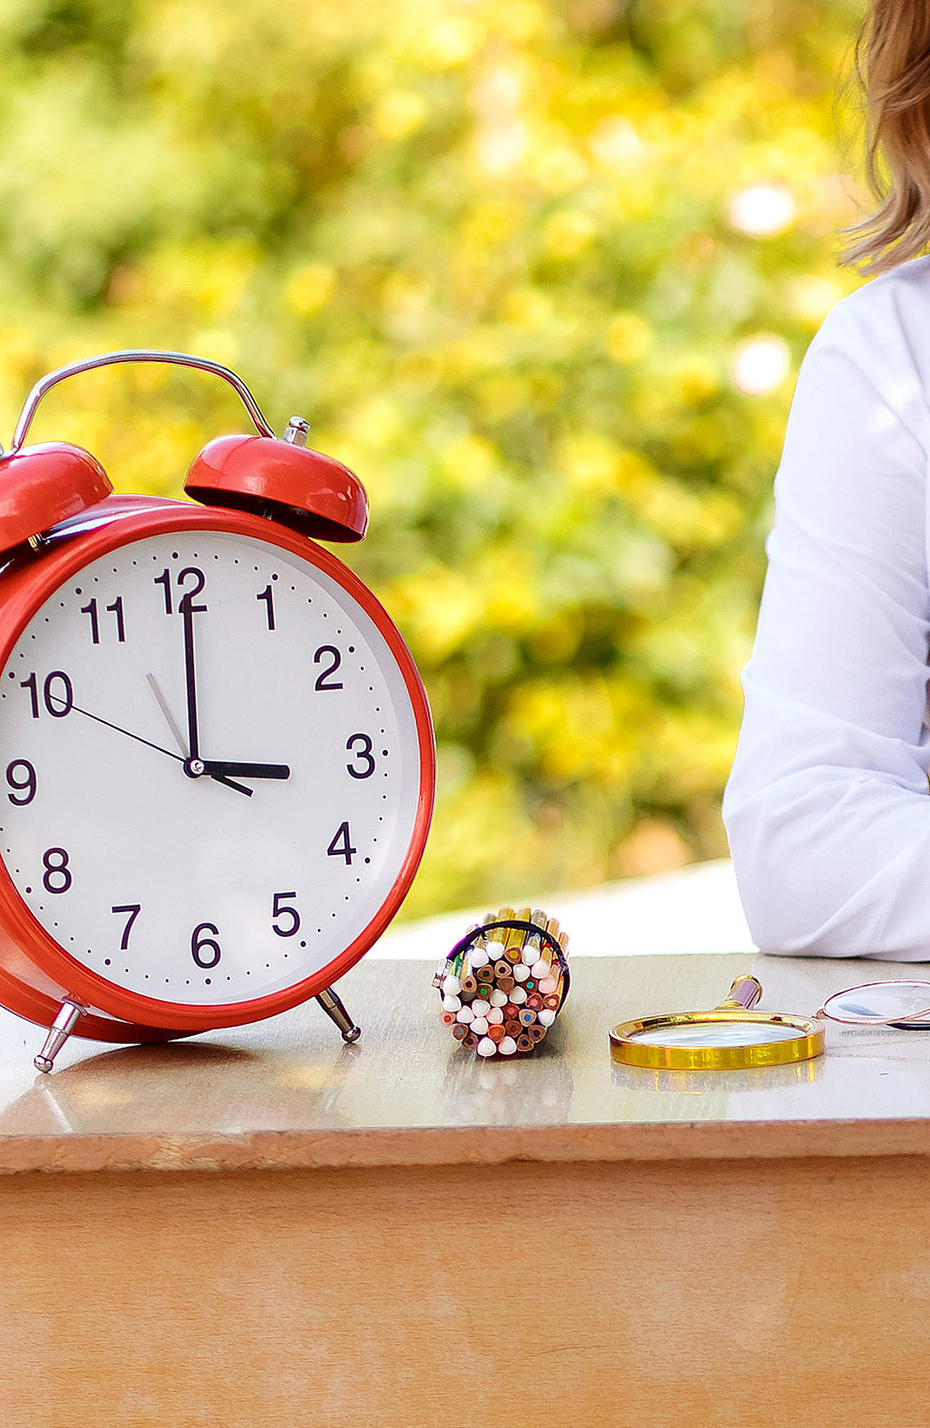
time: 3:00
